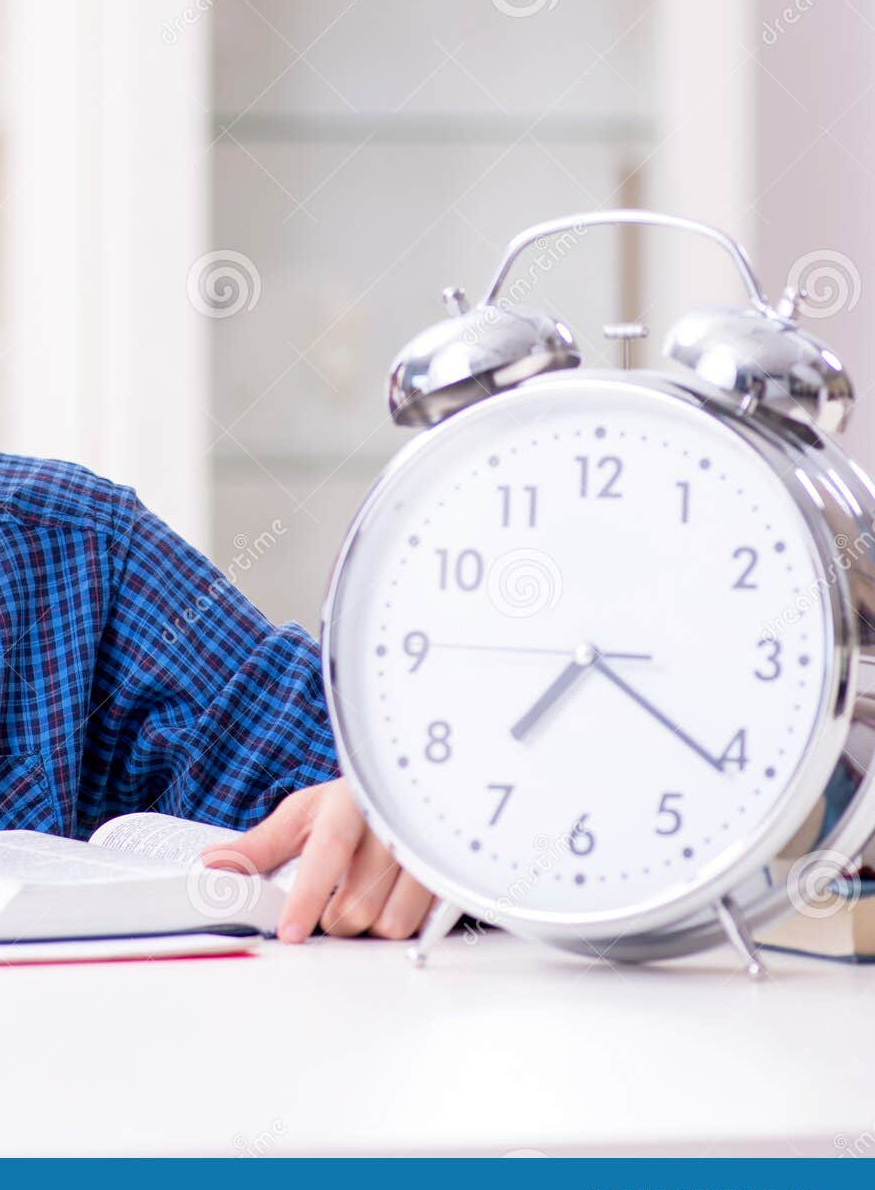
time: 7:21
